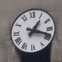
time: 1:18
